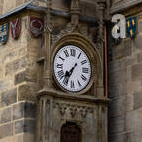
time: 7:34
